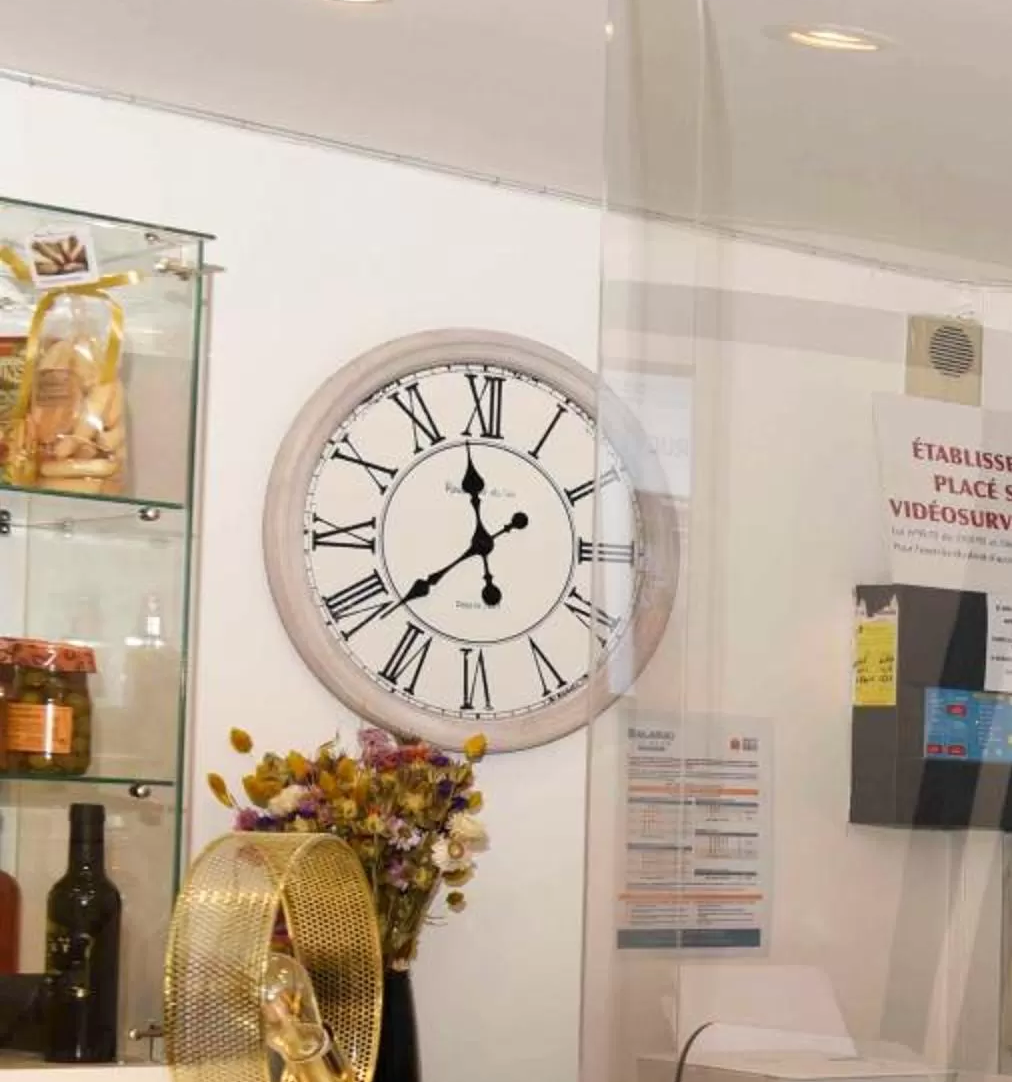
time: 11:38
